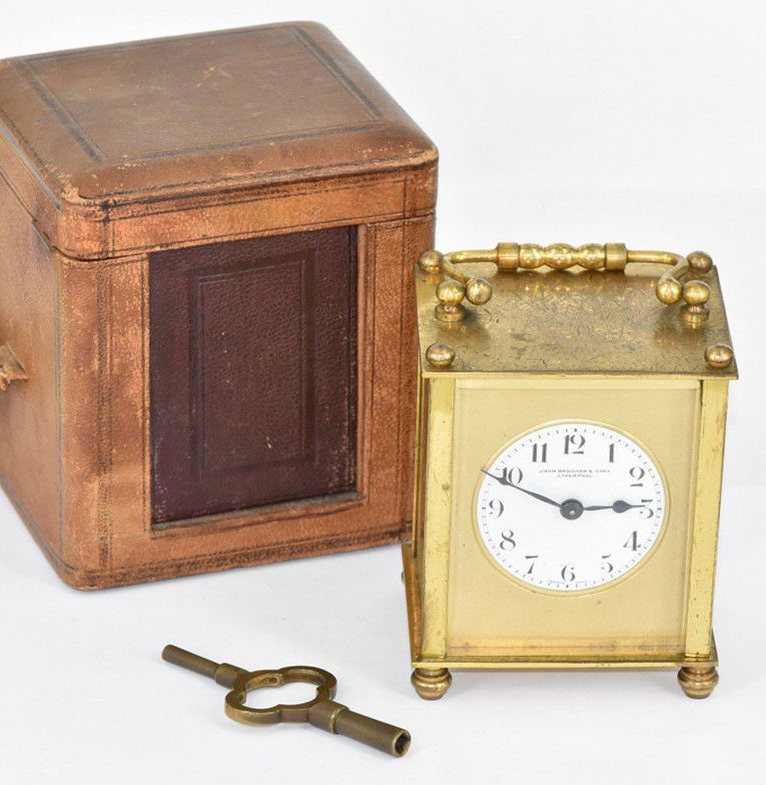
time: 2:48
